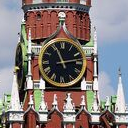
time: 11:13
